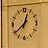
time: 12:38
